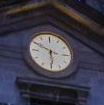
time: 5:49
